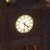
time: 4:31
